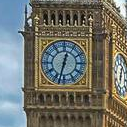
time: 12:32
